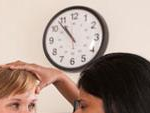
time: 10:53
